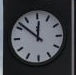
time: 11:51
